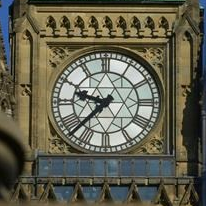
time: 9:37
